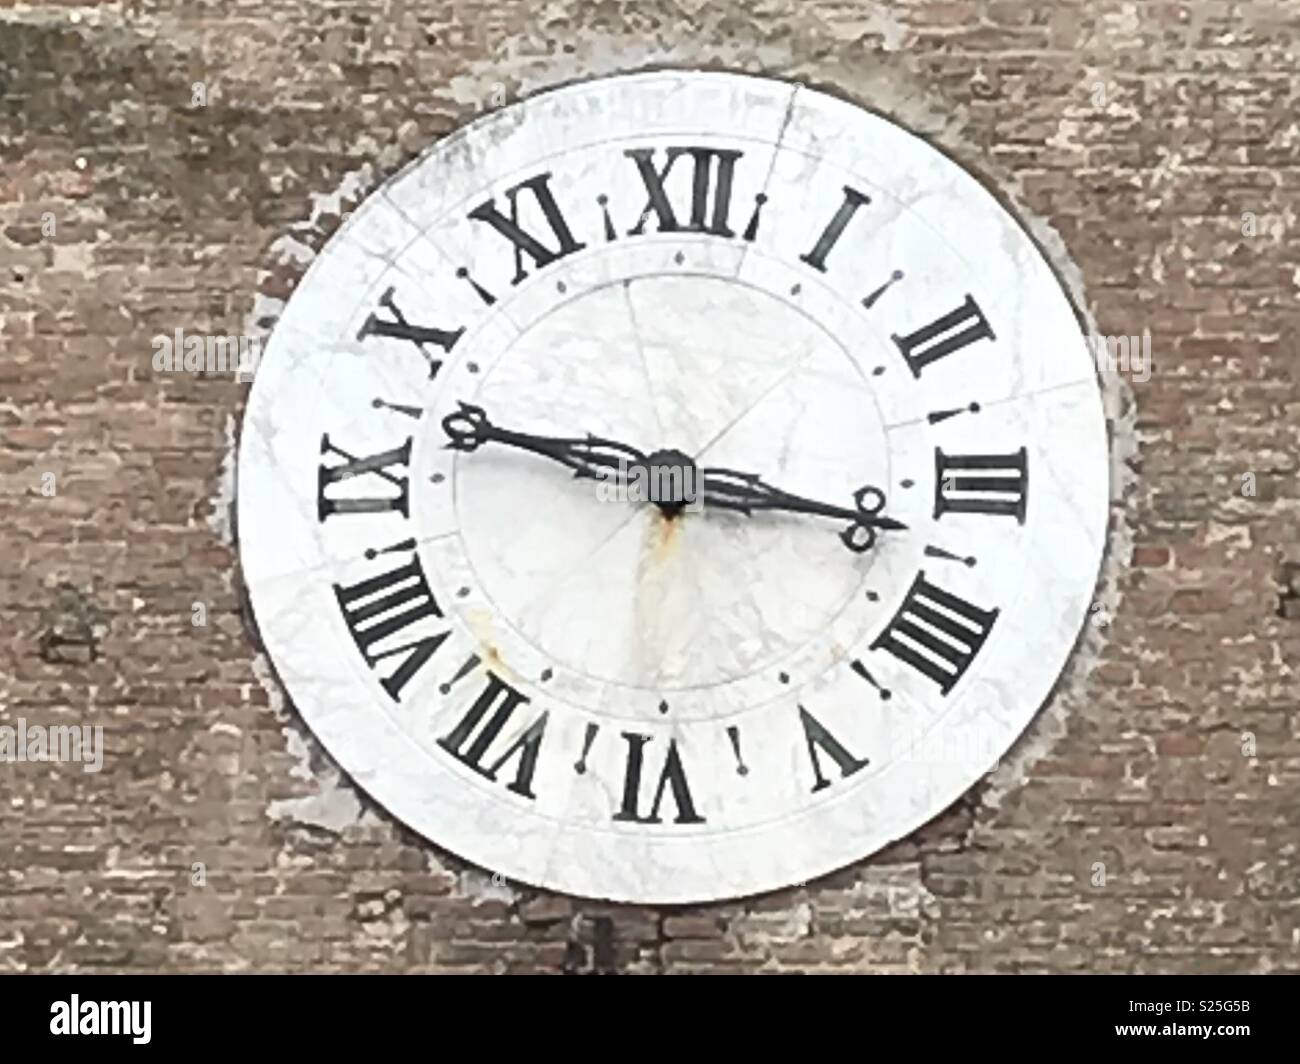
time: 9:16
